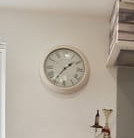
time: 1:36
